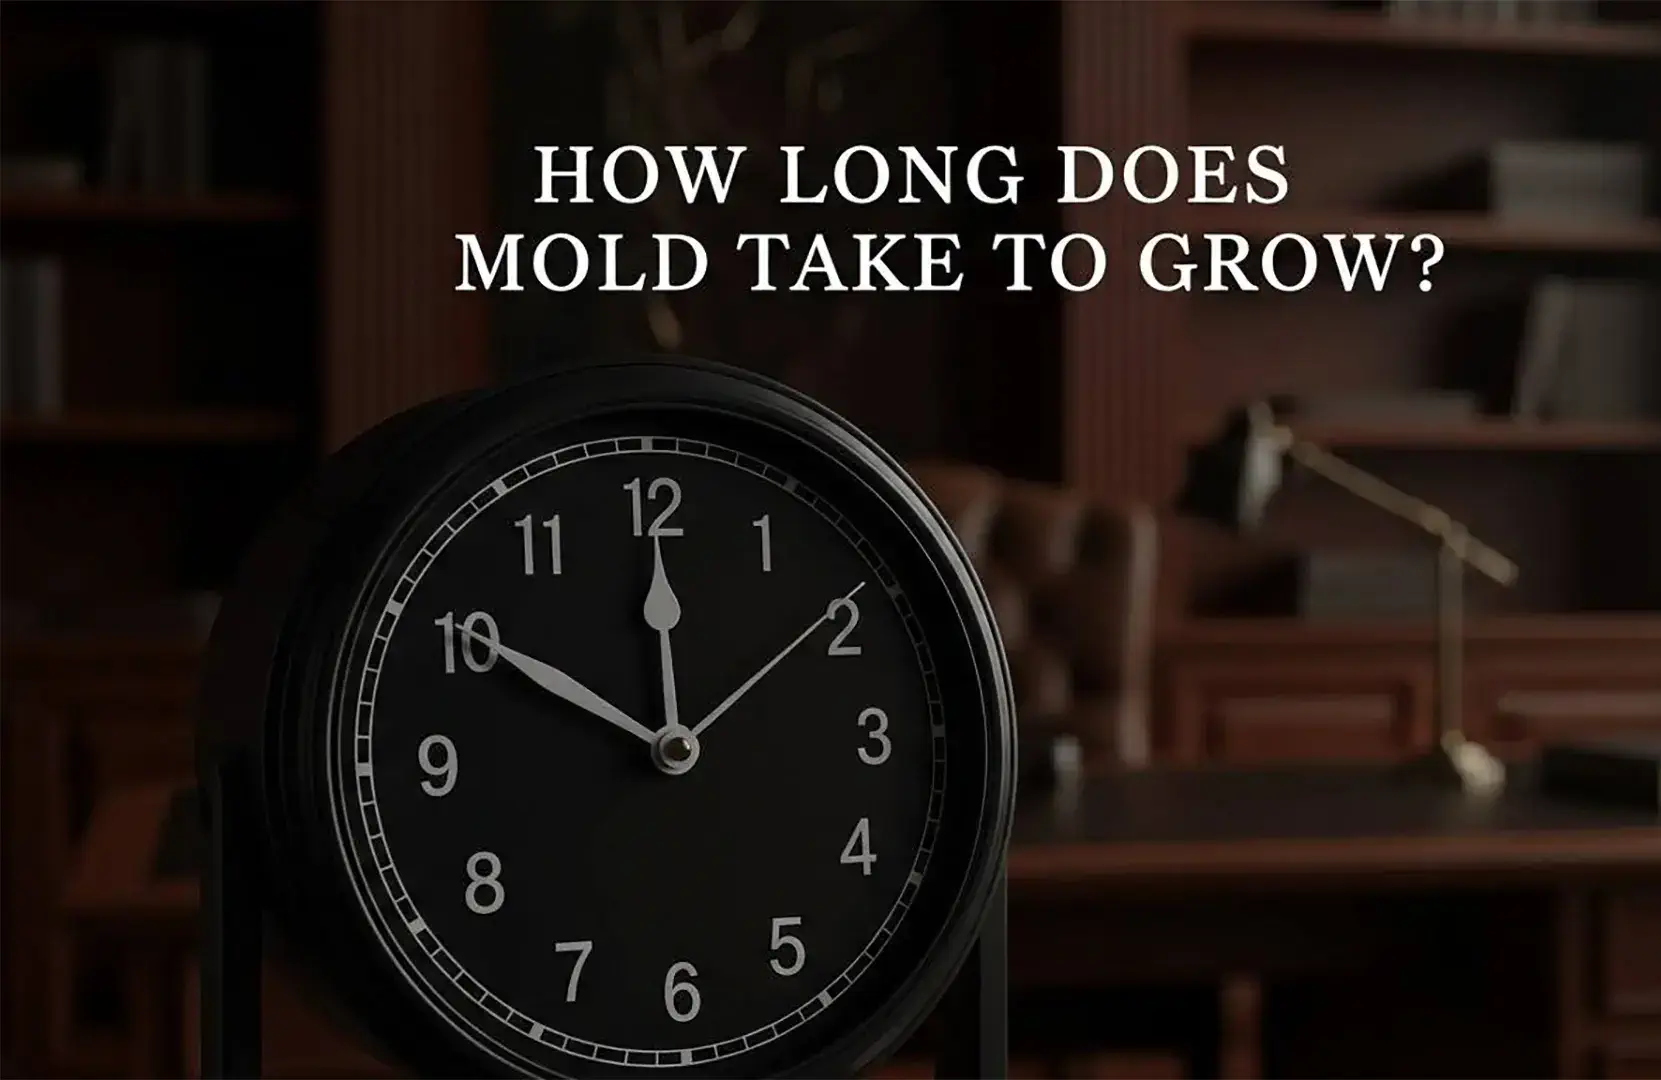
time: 11:50
